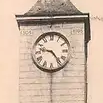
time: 9:23
